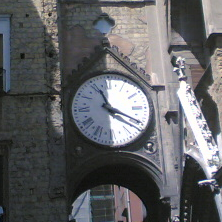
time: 11:19
